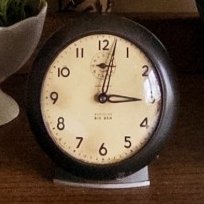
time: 3:02
